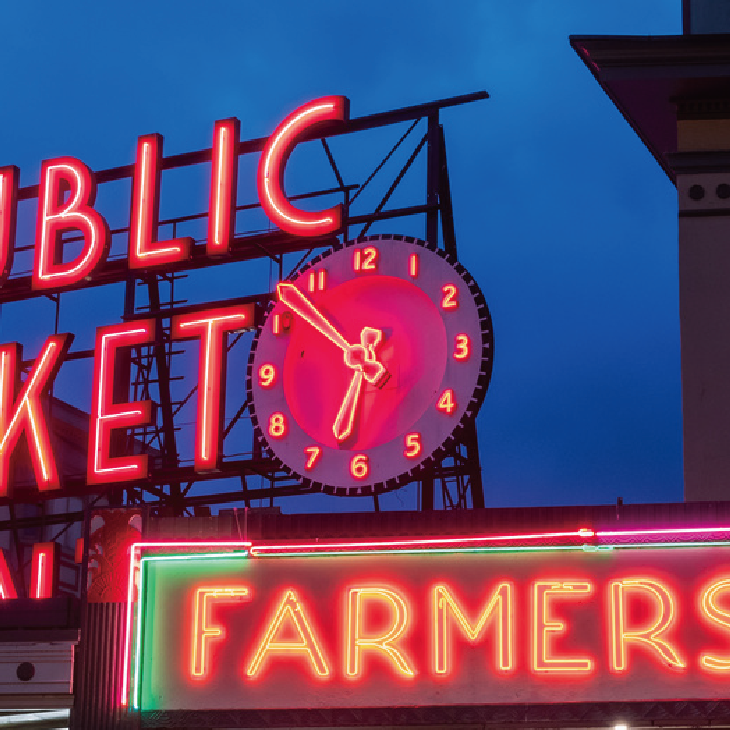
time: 6:52
